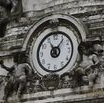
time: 11:06
